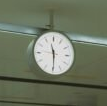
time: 11:29
